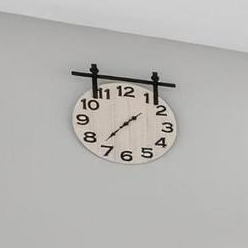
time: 1:37
